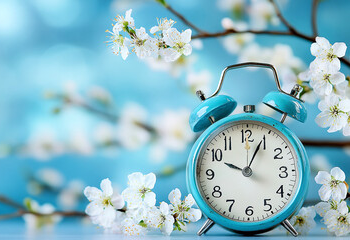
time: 10:04
